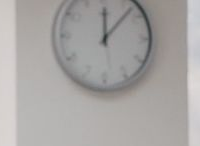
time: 12:07
